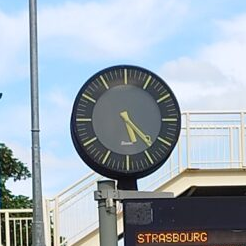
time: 5:22
